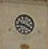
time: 9:20
